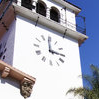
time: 2:58
